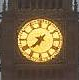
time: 7:37
